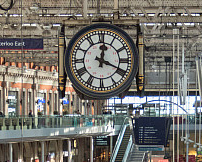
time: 12:19
